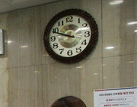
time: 9:48
